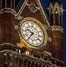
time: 9:35
